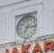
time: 7:15
